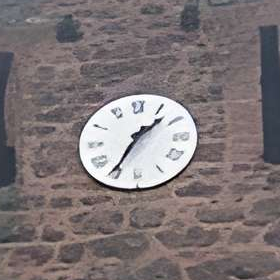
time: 1:35
